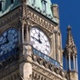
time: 11:46
